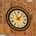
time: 11:07
